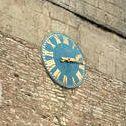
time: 2:13
